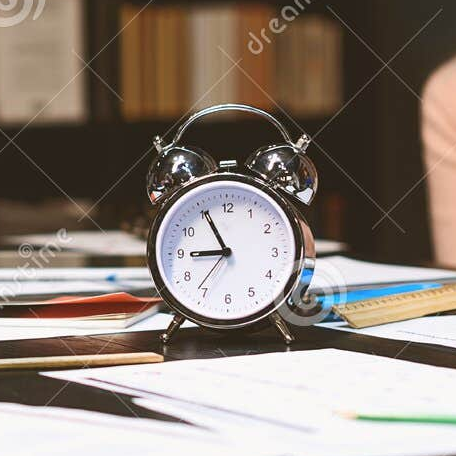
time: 8:55
